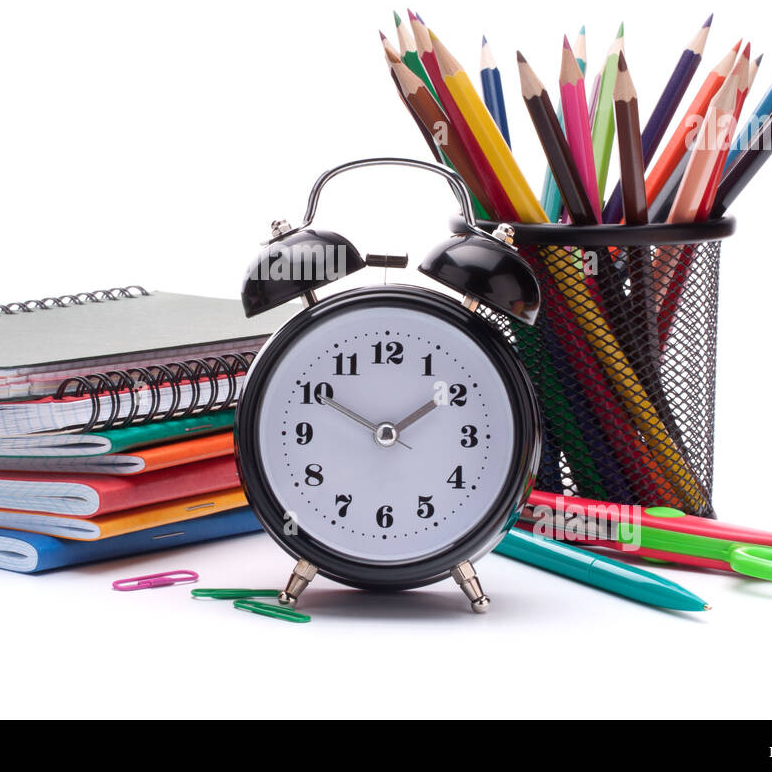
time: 1:50
